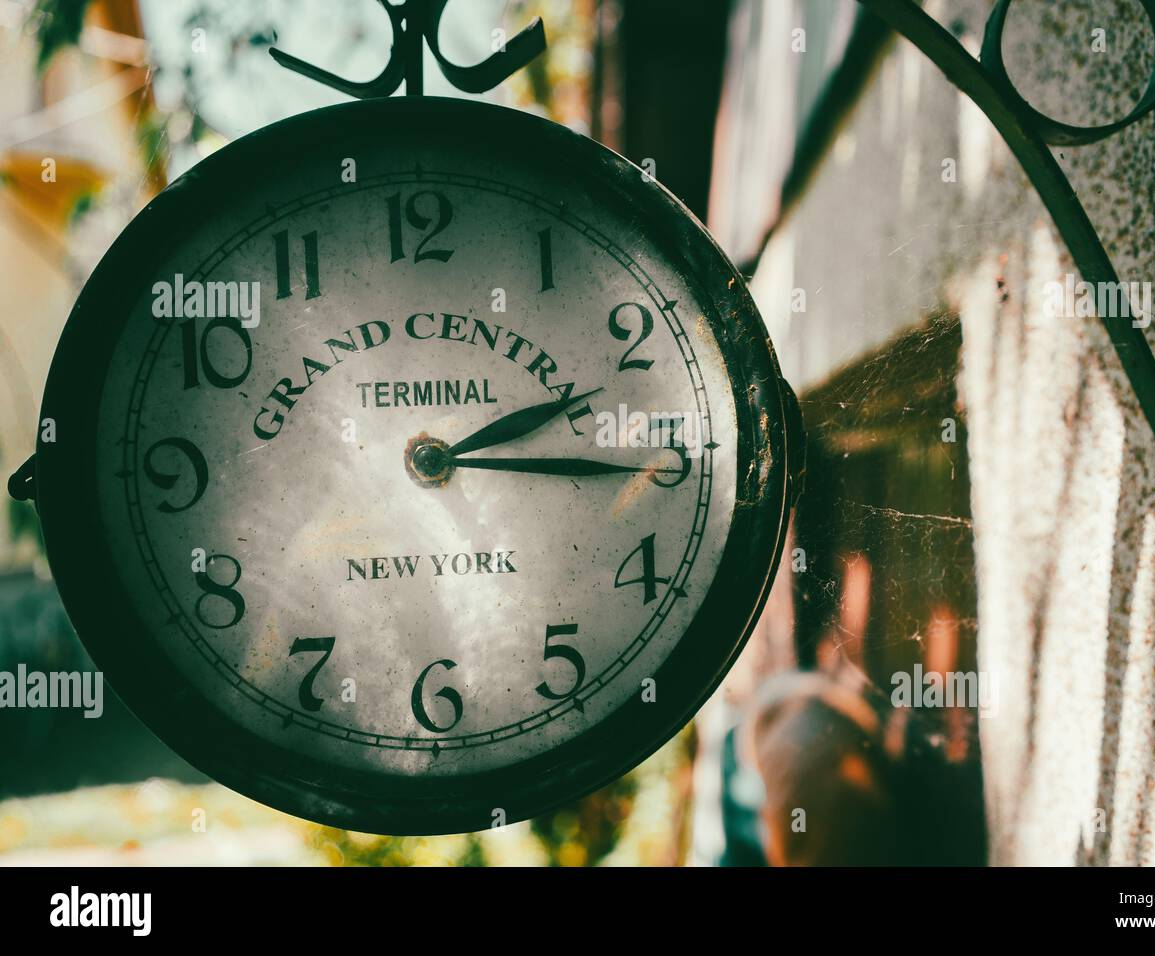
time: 2:16
